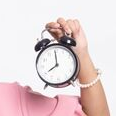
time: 7:59
